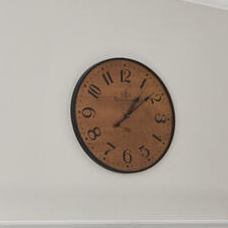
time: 1:08
